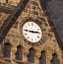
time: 2:45
